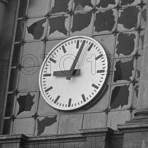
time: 9:02
